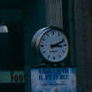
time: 3:11
